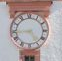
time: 4:44
